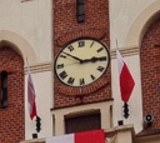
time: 2:51
